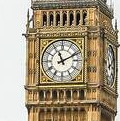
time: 11:10
